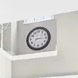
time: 8:15
